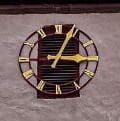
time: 3:04
